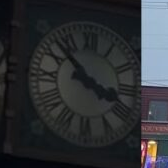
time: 3:52
